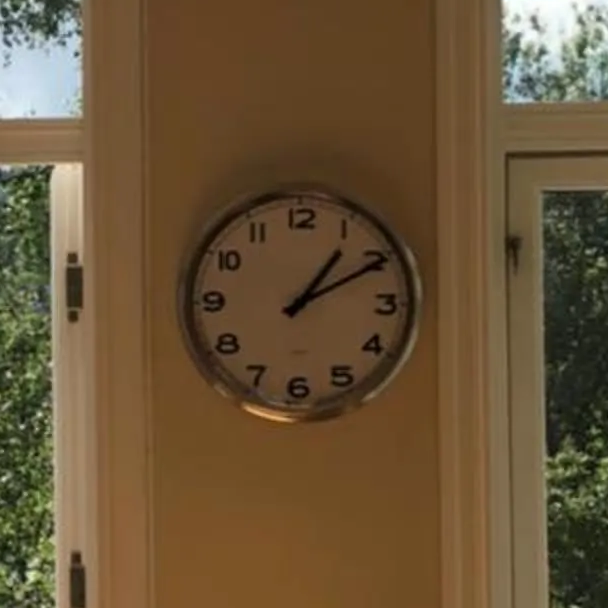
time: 1:10
